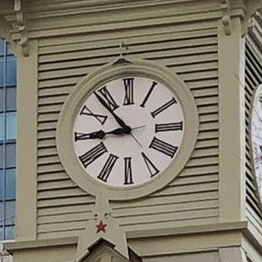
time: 8:53
